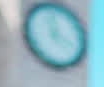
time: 3:58
